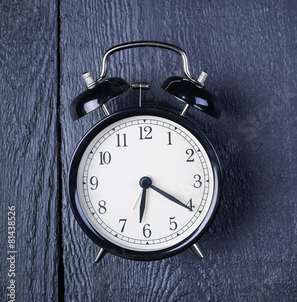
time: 6:20
